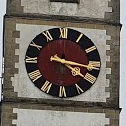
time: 4:16
